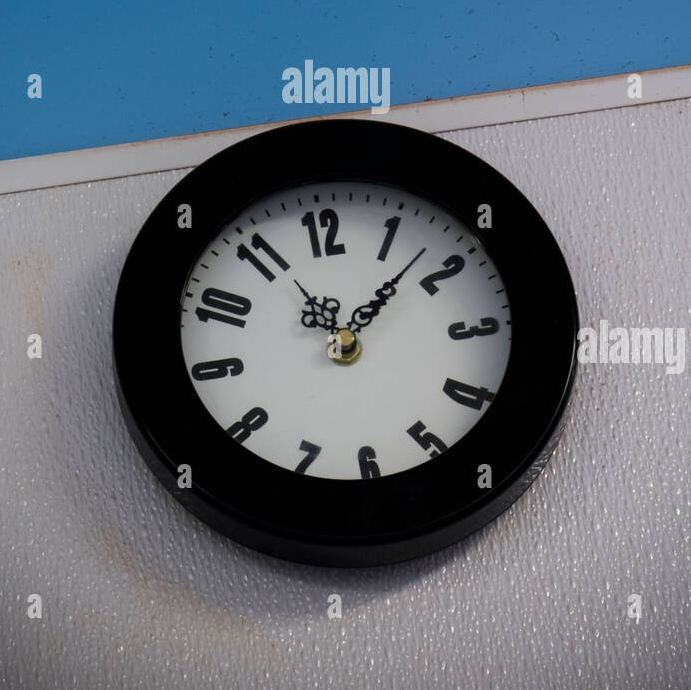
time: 11:07
